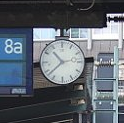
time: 10:38
